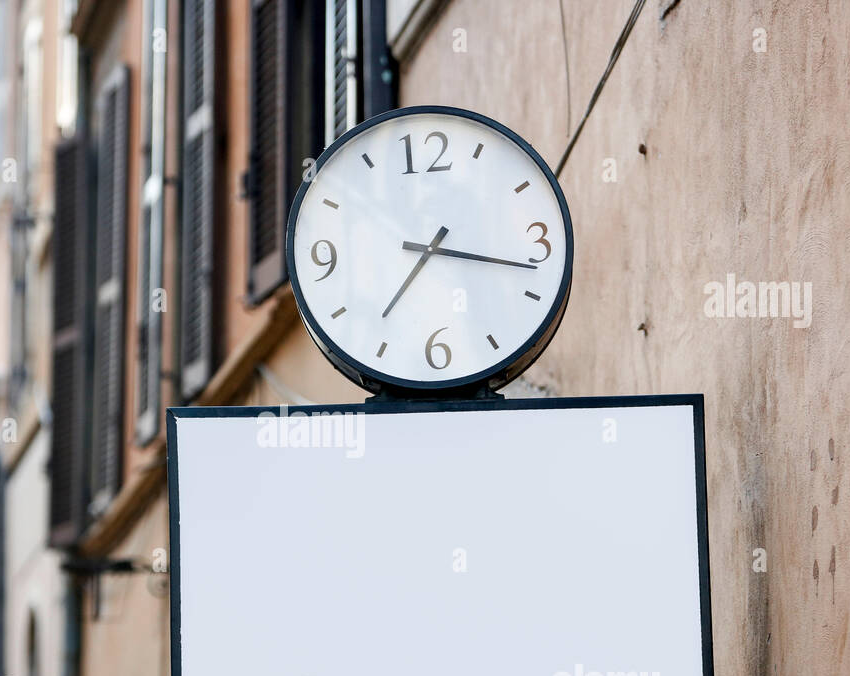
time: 7:17
